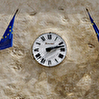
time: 2:12
